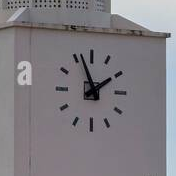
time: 1:56
